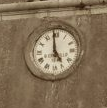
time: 4:59
